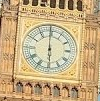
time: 5:59
